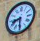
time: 8:30
